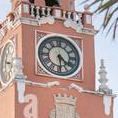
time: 4:29
